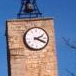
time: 2:19
